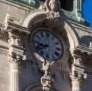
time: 8:38
